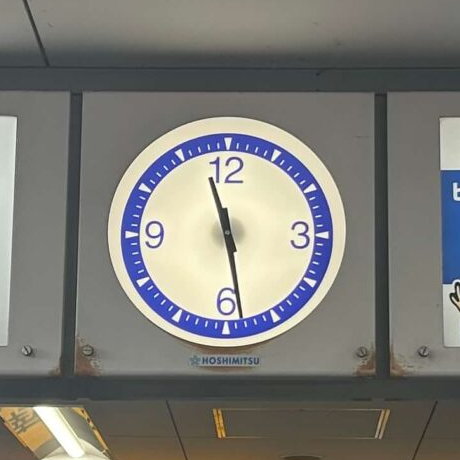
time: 11:28
